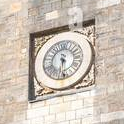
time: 6:29
